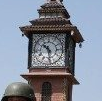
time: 10:28
